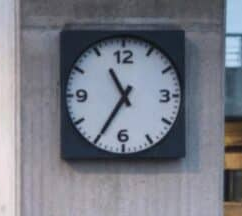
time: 10:35
